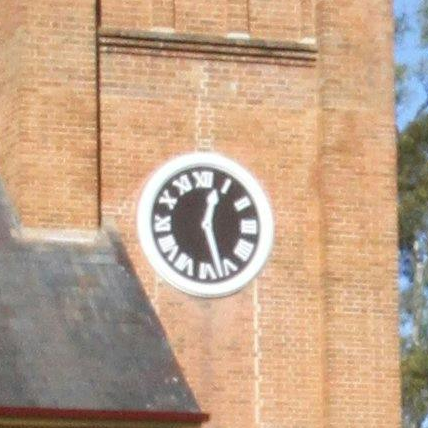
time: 12:27
